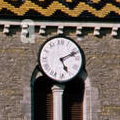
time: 5:11
